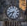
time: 6:41
